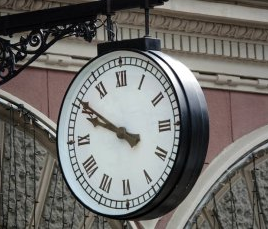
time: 9:50
